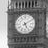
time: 5:09
